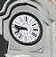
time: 8:46
